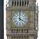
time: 4:00
